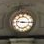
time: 9:15
